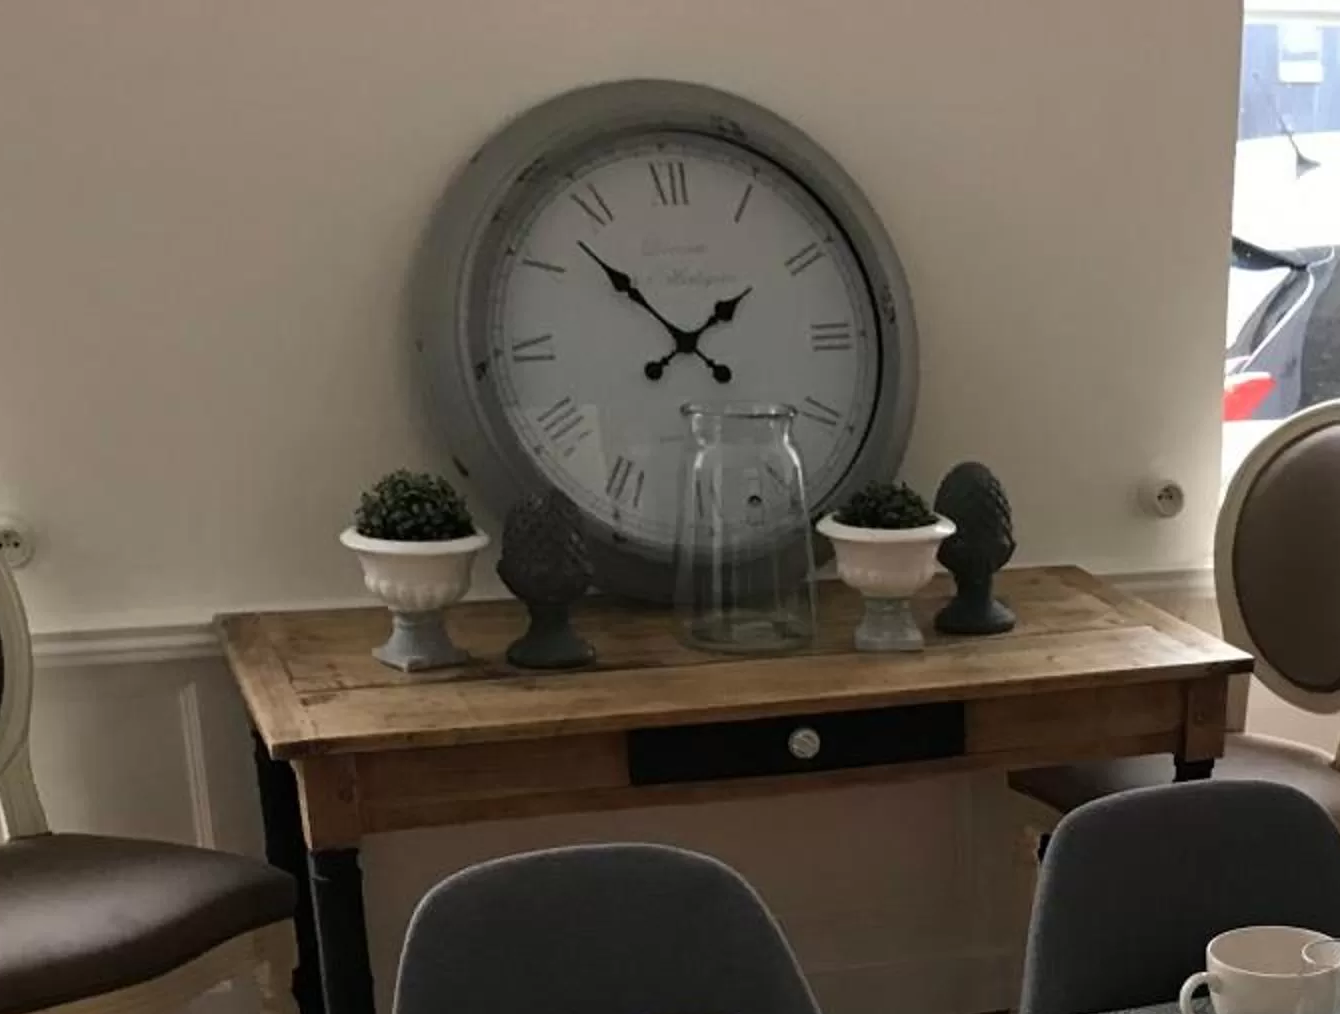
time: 1:52
